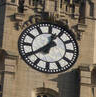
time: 12:39
